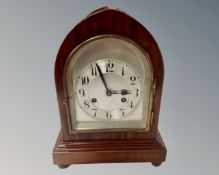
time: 2:56
